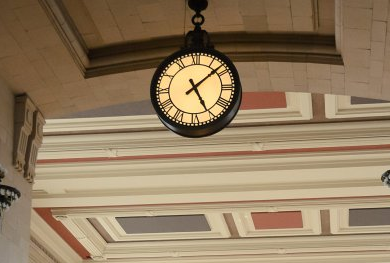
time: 5:08
